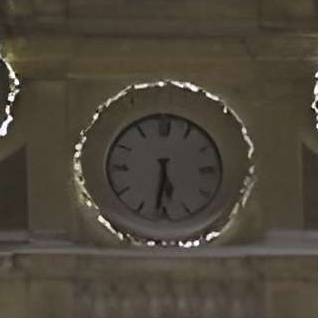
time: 5:31
